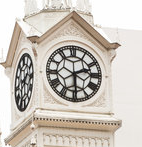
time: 2:29
